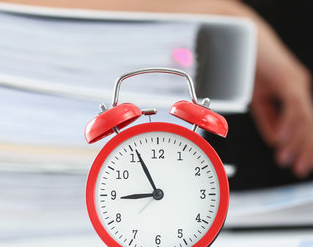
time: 8:55
